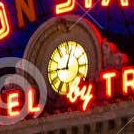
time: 9:02
